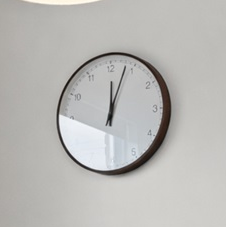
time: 12:03
